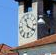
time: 11:19
